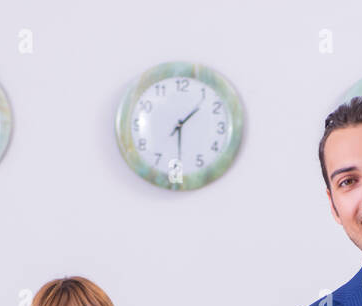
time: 1:29
